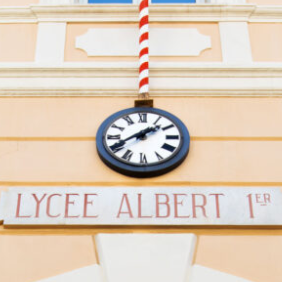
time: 1:40
